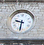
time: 9:32
